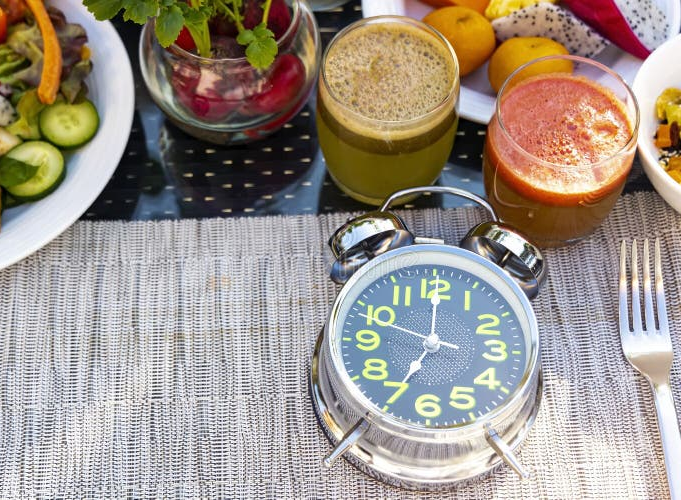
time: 7:00
